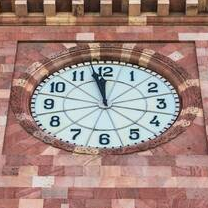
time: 11:57
